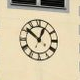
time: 12:51
